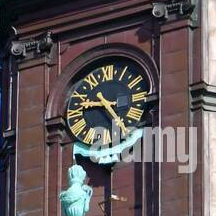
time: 9:23
